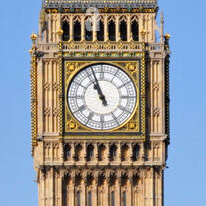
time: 10:56
